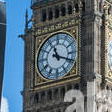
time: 11:18
